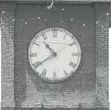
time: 10:39
